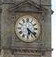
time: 5:21
